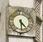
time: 4:28
